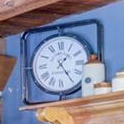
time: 1:24
